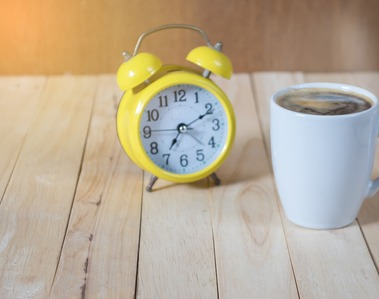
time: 7:11
